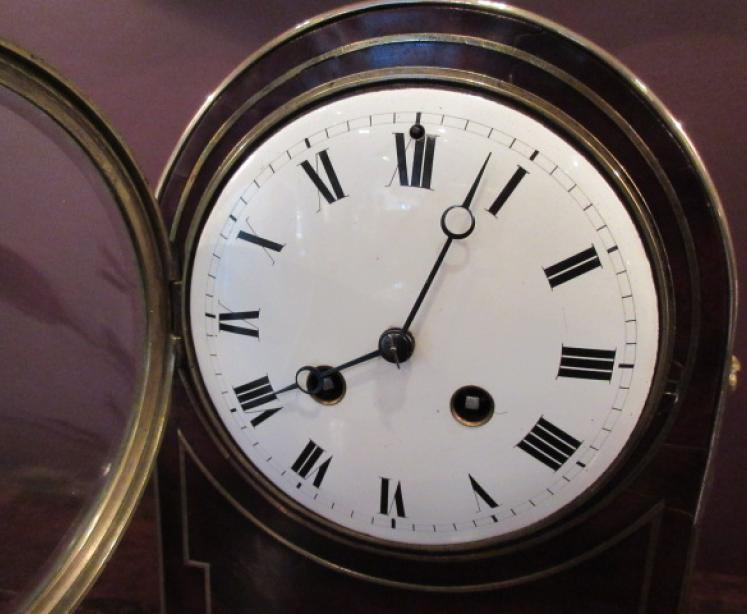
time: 8:03
